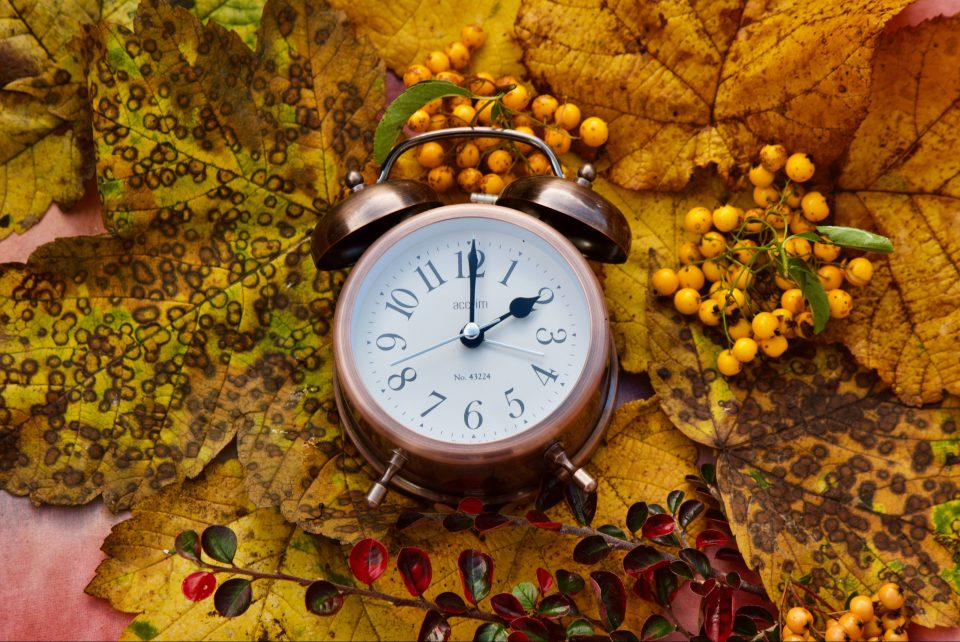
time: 2:00
